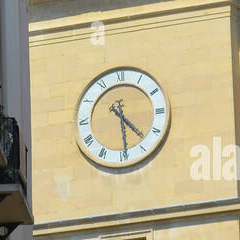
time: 4:28
